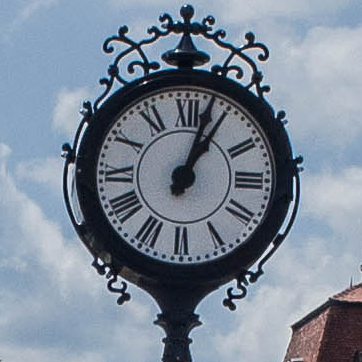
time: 1:03
